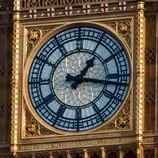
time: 1:16
